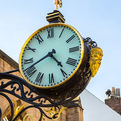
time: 4:41
